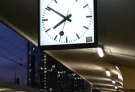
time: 7:50
